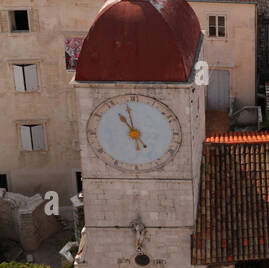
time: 10:58
